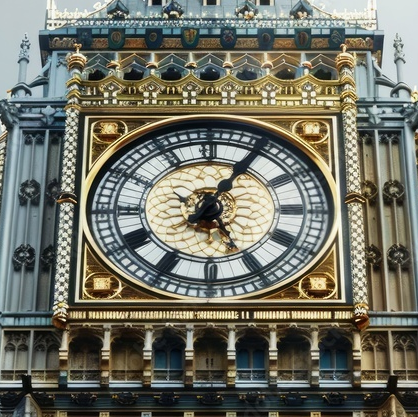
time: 5:05
